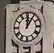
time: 12:05
